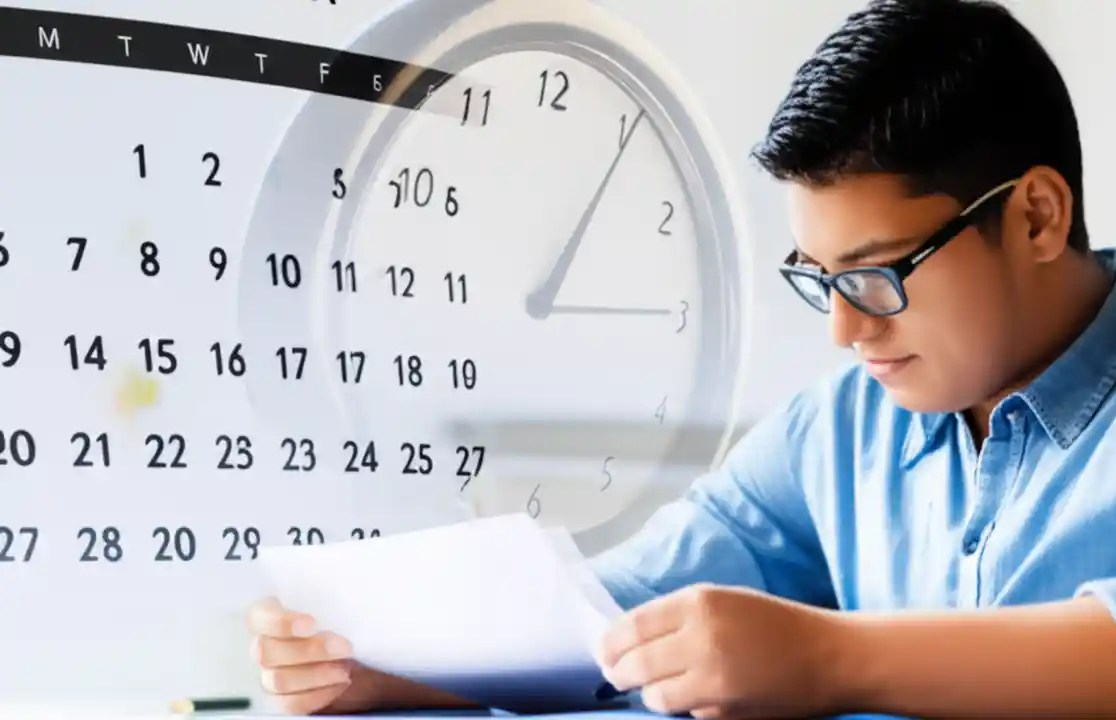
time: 1:05
